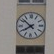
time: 7:51
